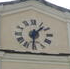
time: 1:30
